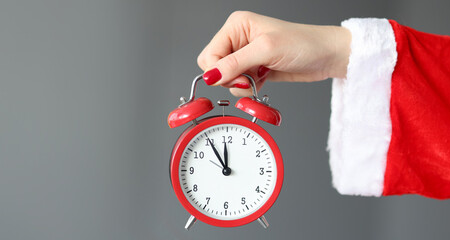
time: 11:54
